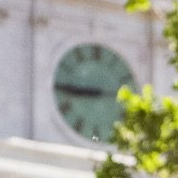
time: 8:45
